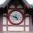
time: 4:46
